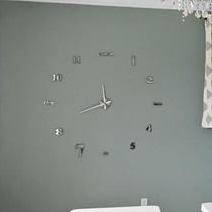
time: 11:41
